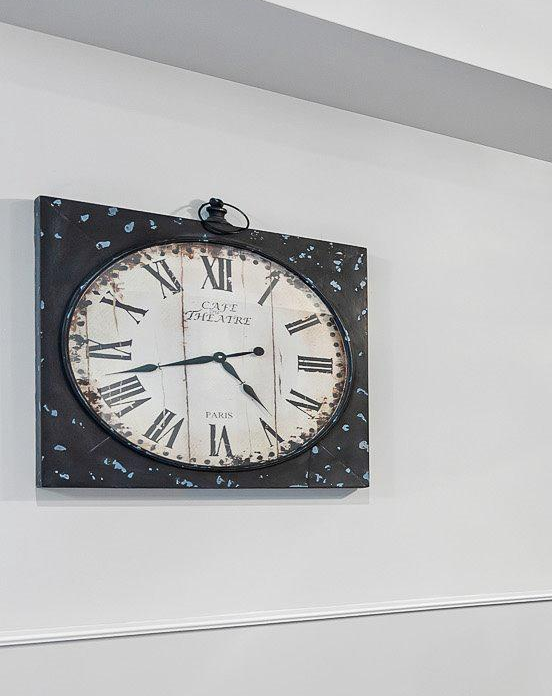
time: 4:42
